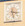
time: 3:27
